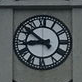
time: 8:51
